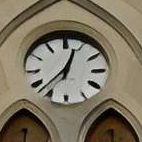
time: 12:37
